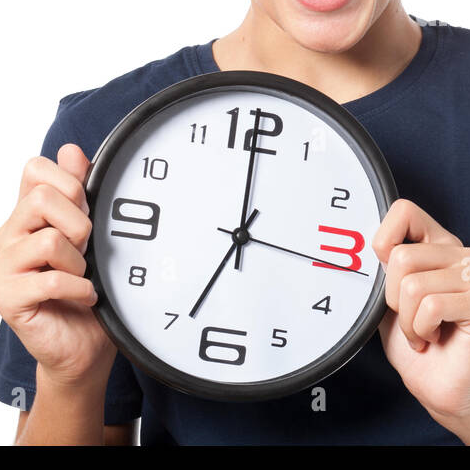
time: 7:00
